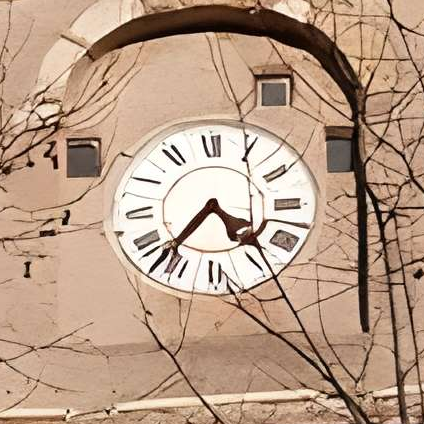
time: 4:36
